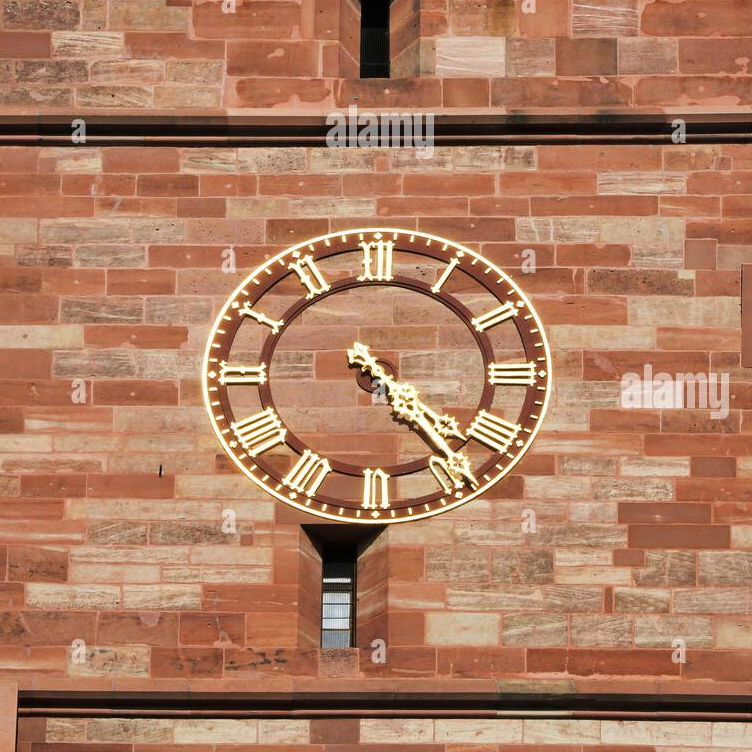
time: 4:23
